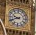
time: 9:41
